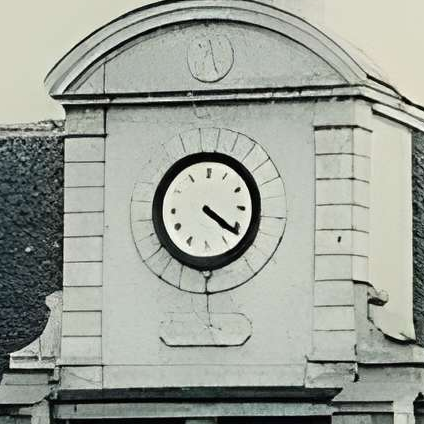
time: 4:20
